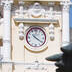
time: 4:20
